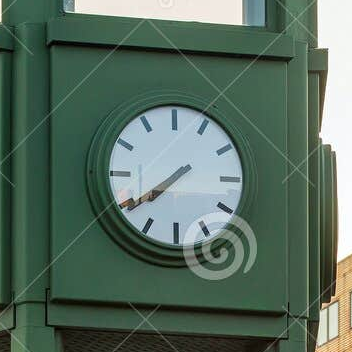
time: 7:39
